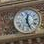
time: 12:26
